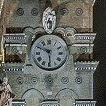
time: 5:49
